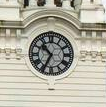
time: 10:34
